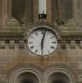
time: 6:02
